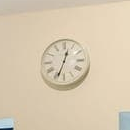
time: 12:33
